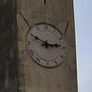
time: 2:49
